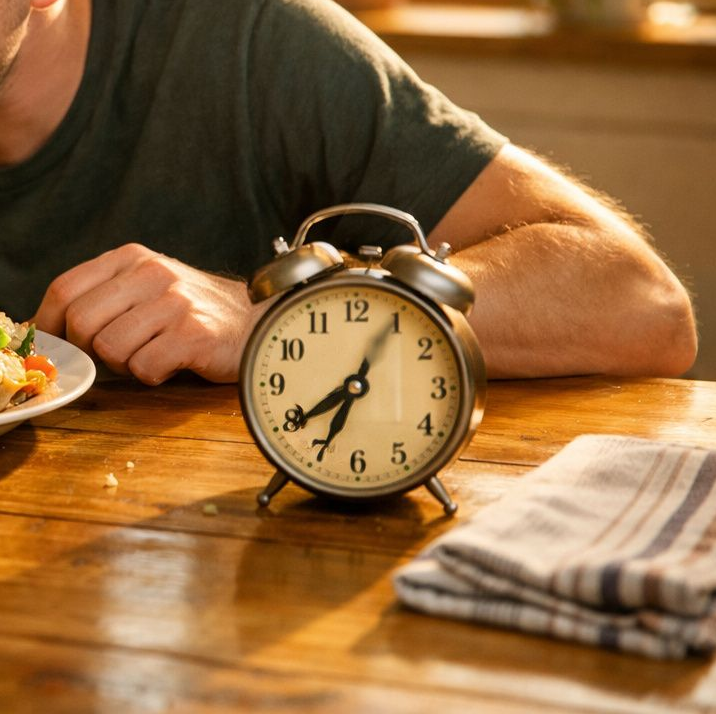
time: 8:04
